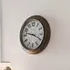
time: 9:19
